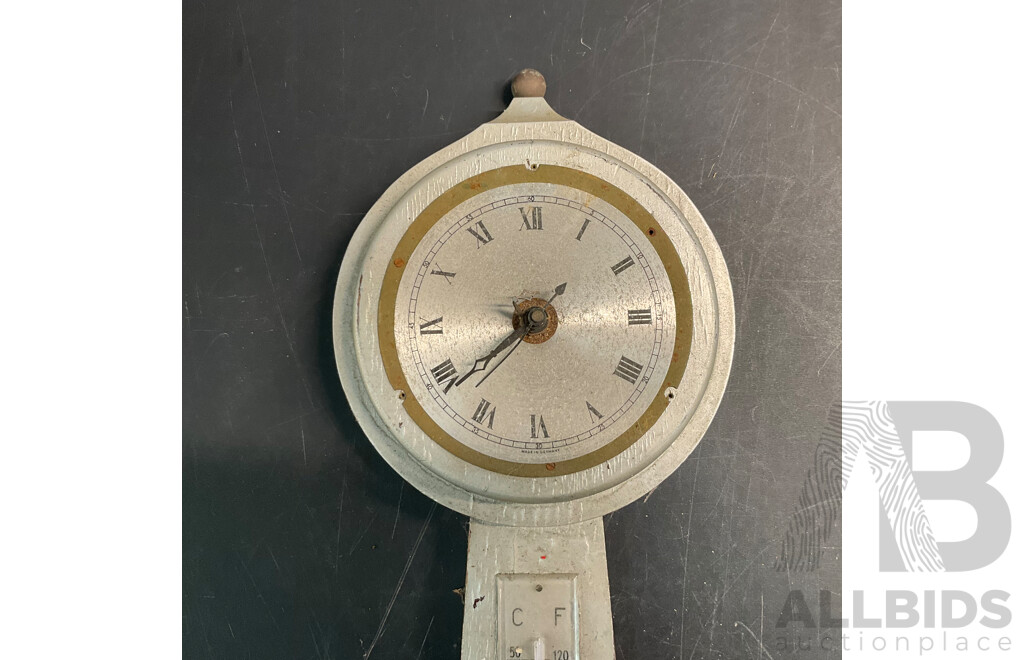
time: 7:38
